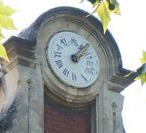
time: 2:07
